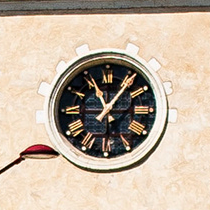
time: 11:06
